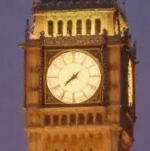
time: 7:37
